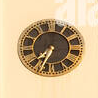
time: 7:34
